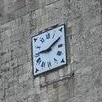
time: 9:10
